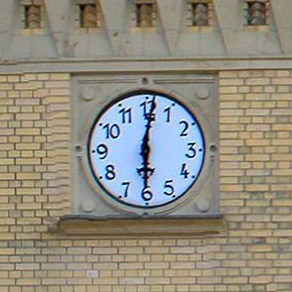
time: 6:01
